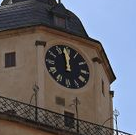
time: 11:57
